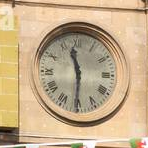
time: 11:30
